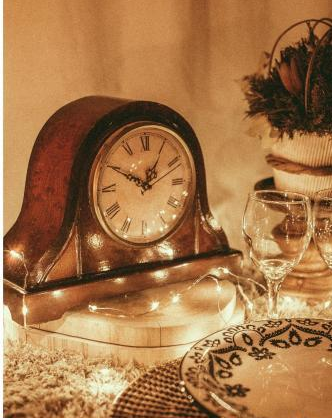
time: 12:49
